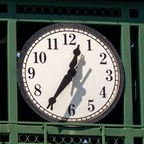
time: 12:35
